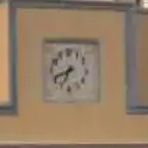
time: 6:41
